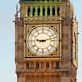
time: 9:12
